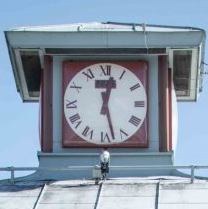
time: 12:27
